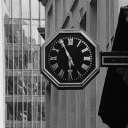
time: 5:55
